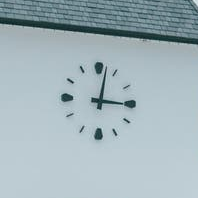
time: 3:02
